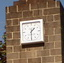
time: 1:30
